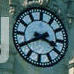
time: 3:40
